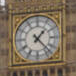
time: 1:22
